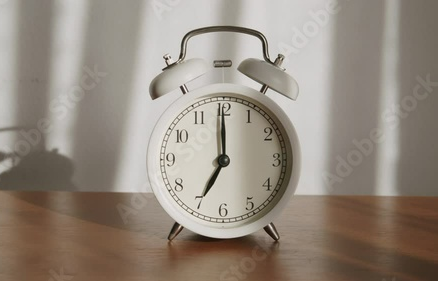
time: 7:00
